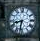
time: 8:32
